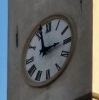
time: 2:56
